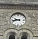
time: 9:42
